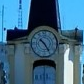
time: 10:24
